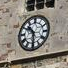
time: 10:30
